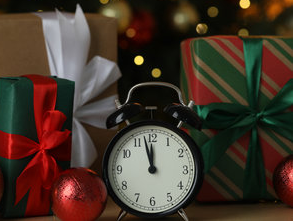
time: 11:57
